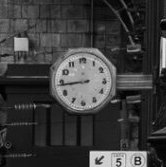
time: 8:43
